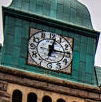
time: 12:14
